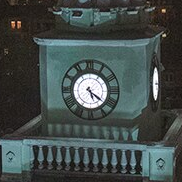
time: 5:21
